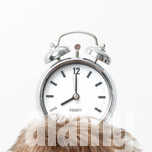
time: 8:00
